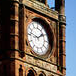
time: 1:46
